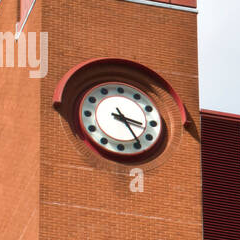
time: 3:24
